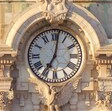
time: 7:01
